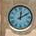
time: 12:10
